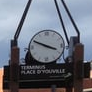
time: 3:49
